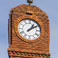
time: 1:09
